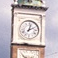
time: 2:02
